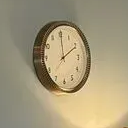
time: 2:00
